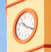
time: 10:19
